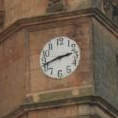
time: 2:42
